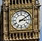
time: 3:09
